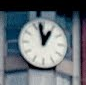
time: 12:58
